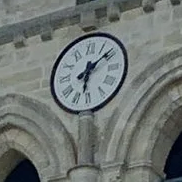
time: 6:08
